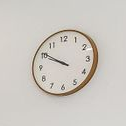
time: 9:50
